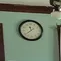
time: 11:38
